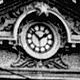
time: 1:52
